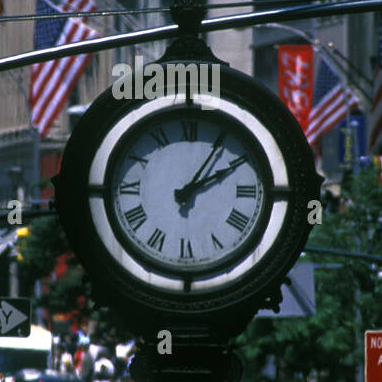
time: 2:06
